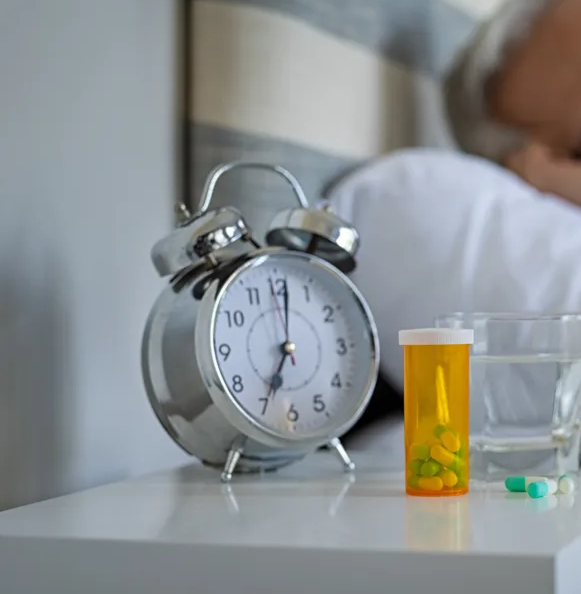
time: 7:01
